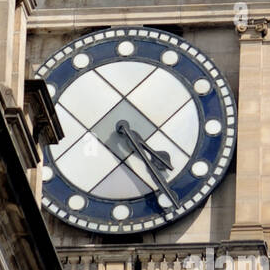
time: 4:24
